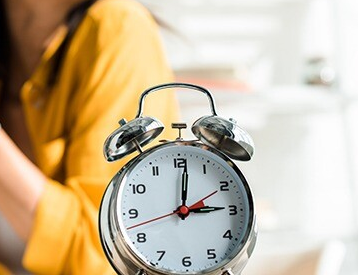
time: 3:01
